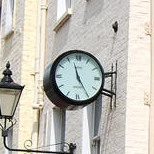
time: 11:24
